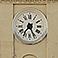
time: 7:25
